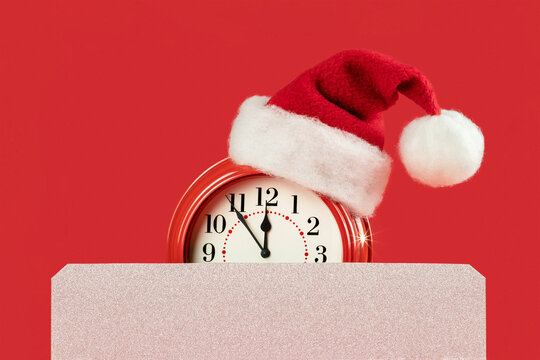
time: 11:53
